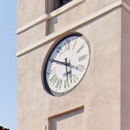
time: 5:49
